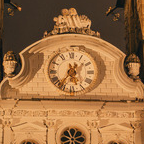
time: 1:36
